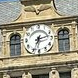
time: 2:33
